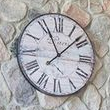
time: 11:07
